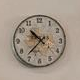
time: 10:36
